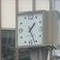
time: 1:26
